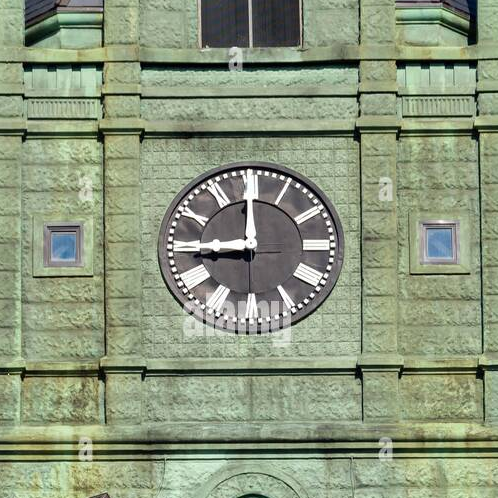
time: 11:44
